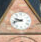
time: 9:42
